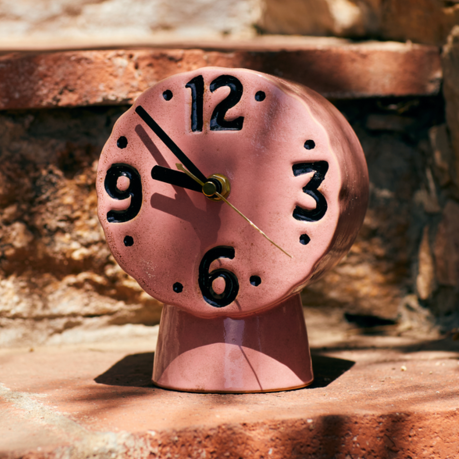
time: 9:53
